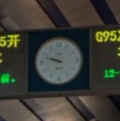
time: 9:47
